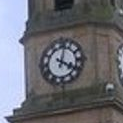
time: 4:02
